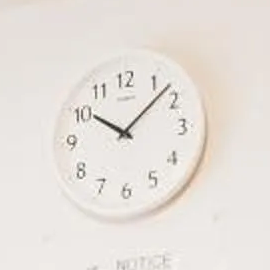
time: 10:07
